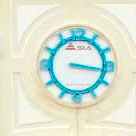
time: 3:16
